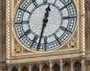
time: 12:32
